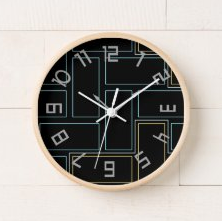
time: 12:09
